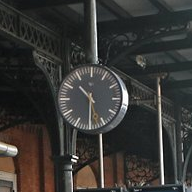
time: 10:30
